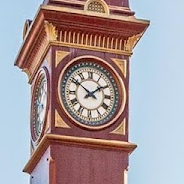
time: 1:50
